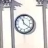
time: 11:21
